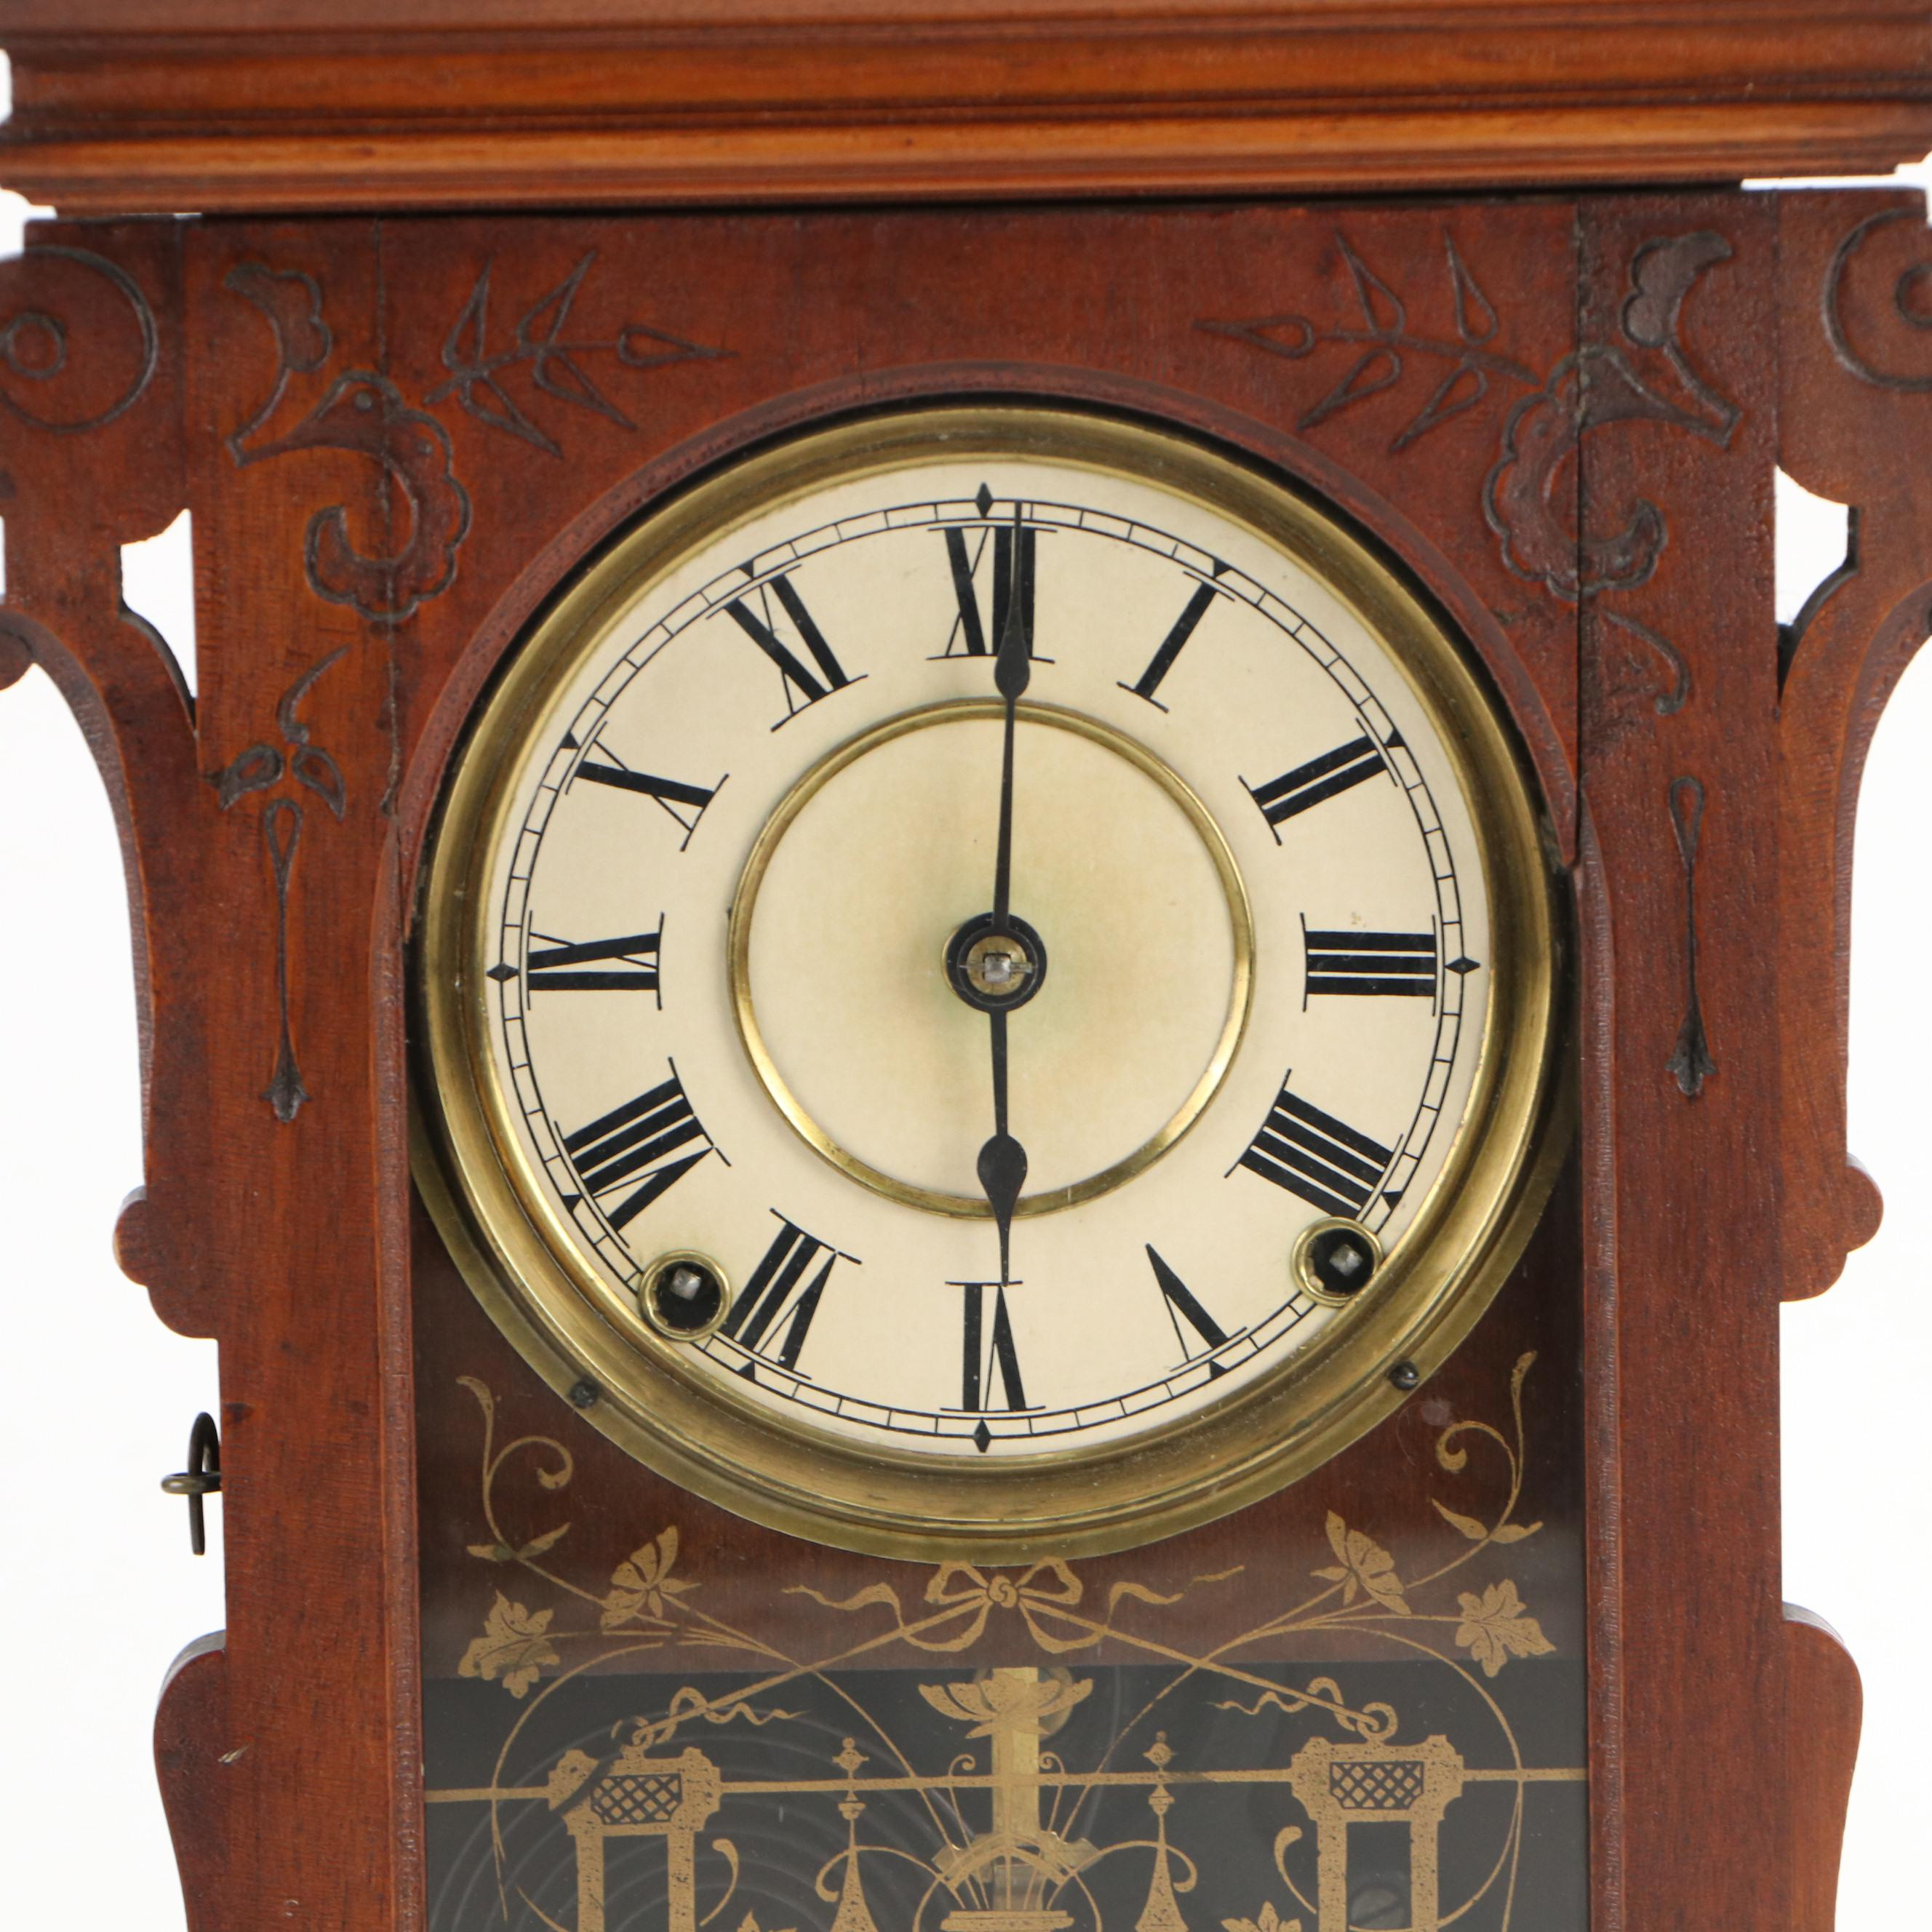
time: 6:00
